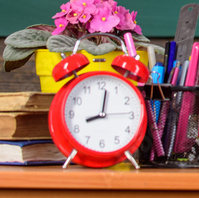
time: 8:01
